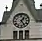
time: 1:24
